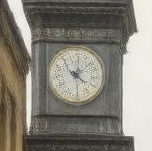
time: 4:29
